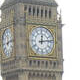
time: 12:13
